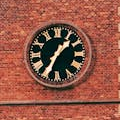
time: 1:34
